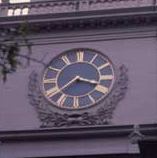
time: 3:38
